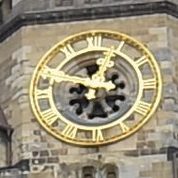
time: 6:47
